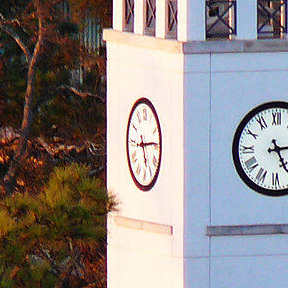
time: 5:14
